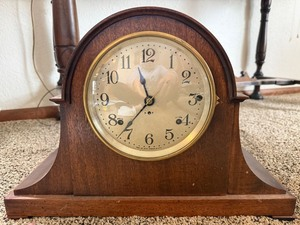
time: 11:36
